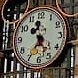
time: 11:35
